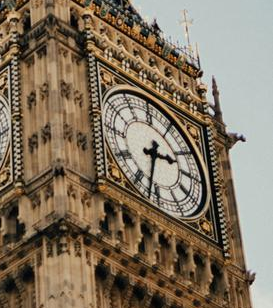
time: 2:32
